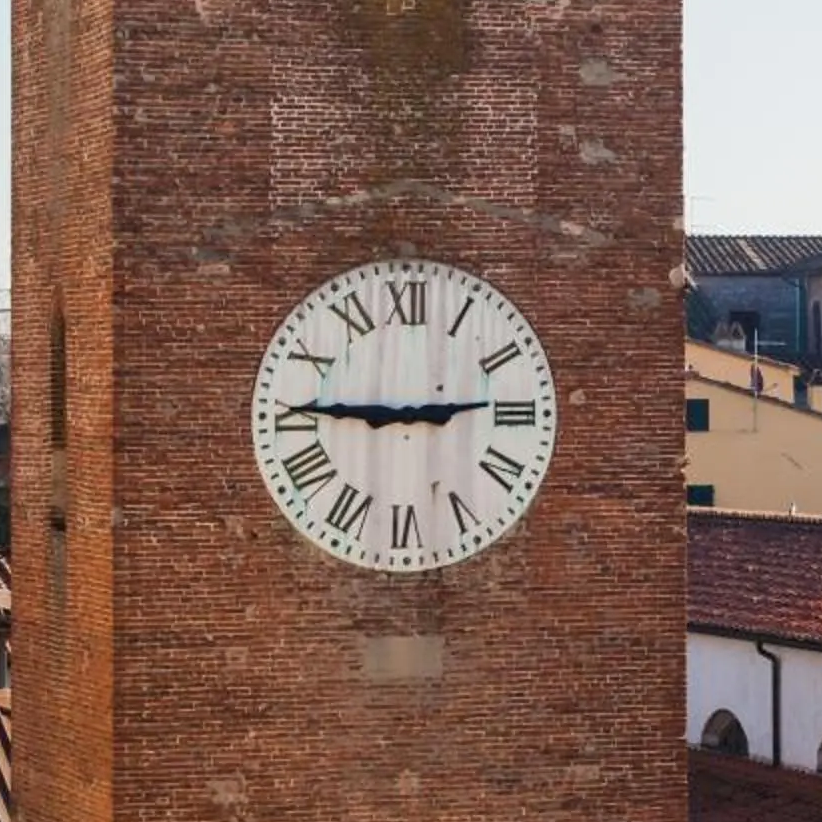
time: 2:45
